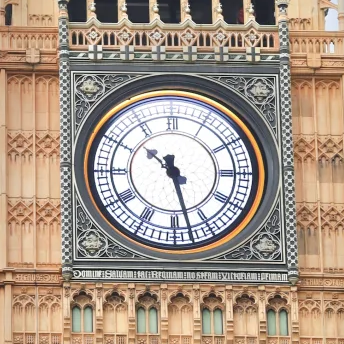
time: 10:27
